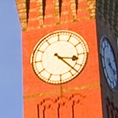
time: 3:22
